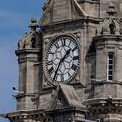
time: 1:35
